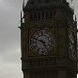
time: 4:48
